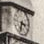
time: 3:32
